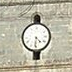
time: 4:31
